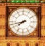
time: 7:42
